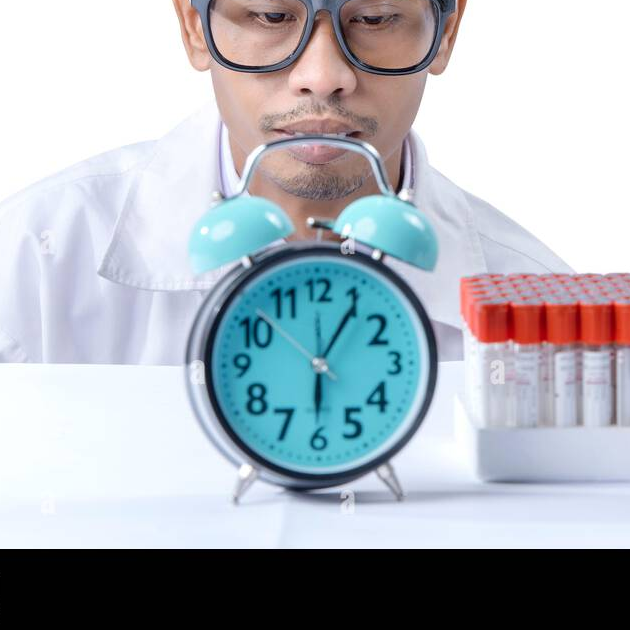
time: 6:05
